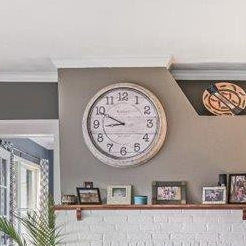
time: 8:49
